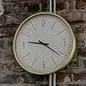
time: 9:21
